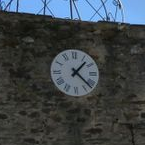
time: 1:22
